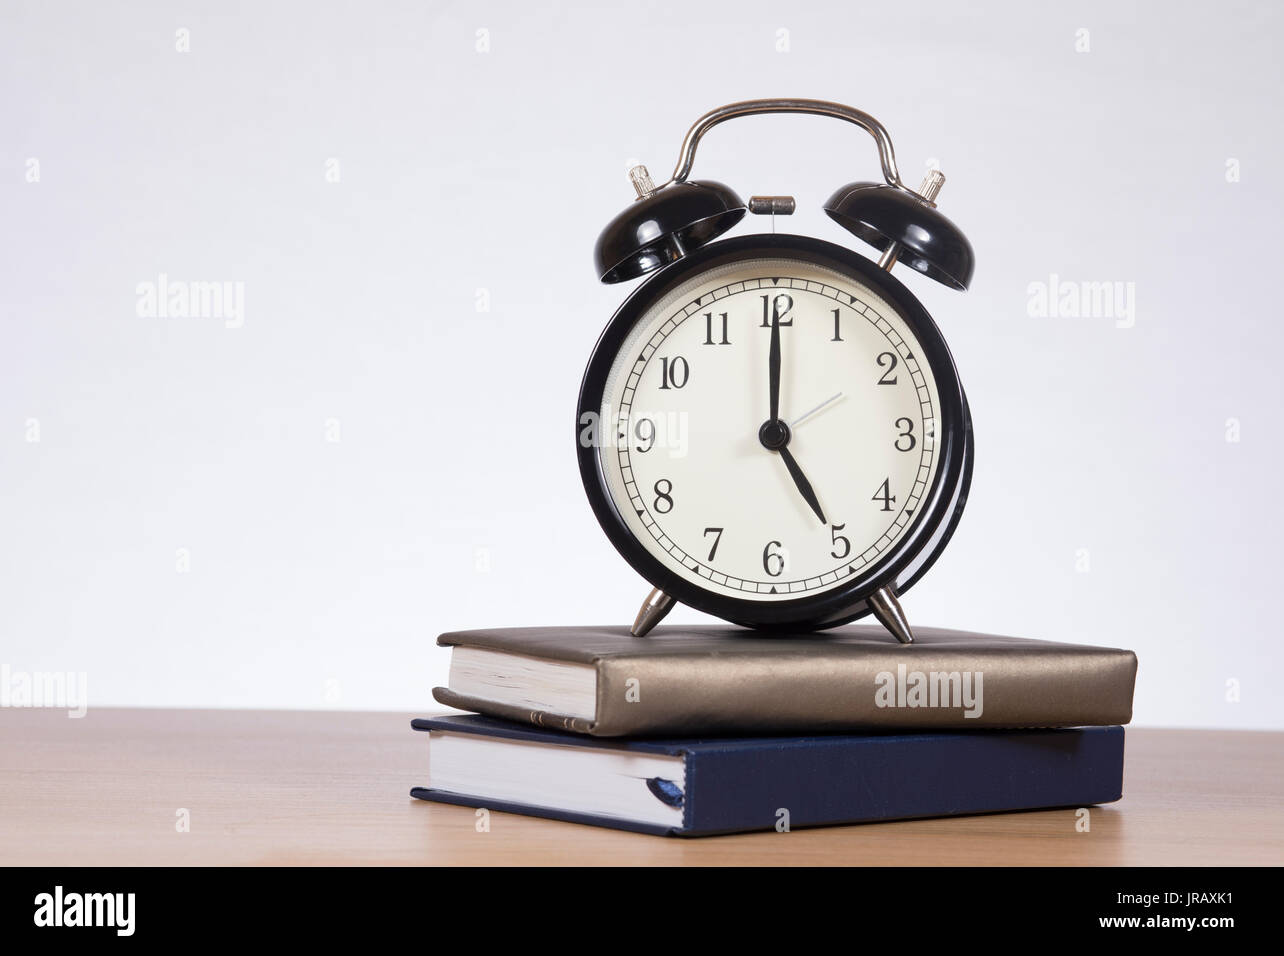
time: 5:00
